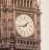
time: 1:43
